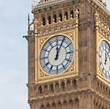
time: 12:04
